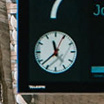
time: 11:38
